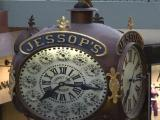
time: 7:16
